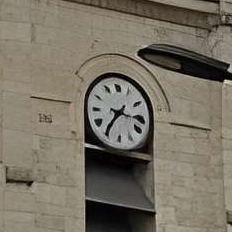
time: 7:15
